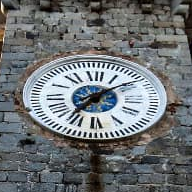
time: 7:08
